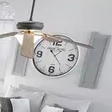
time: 1:23
